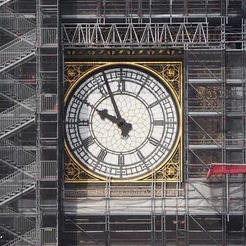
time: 9:56
